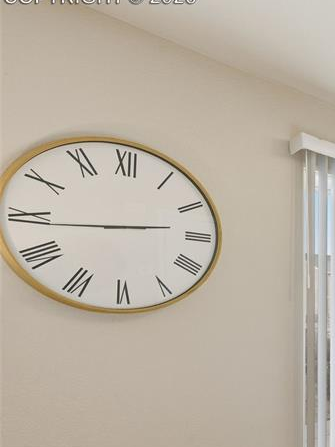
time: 2:44
